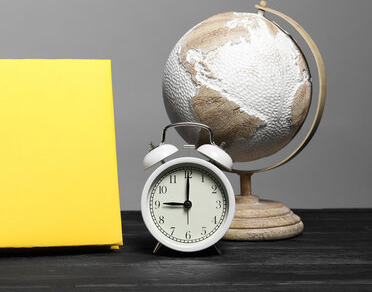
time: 9:00
